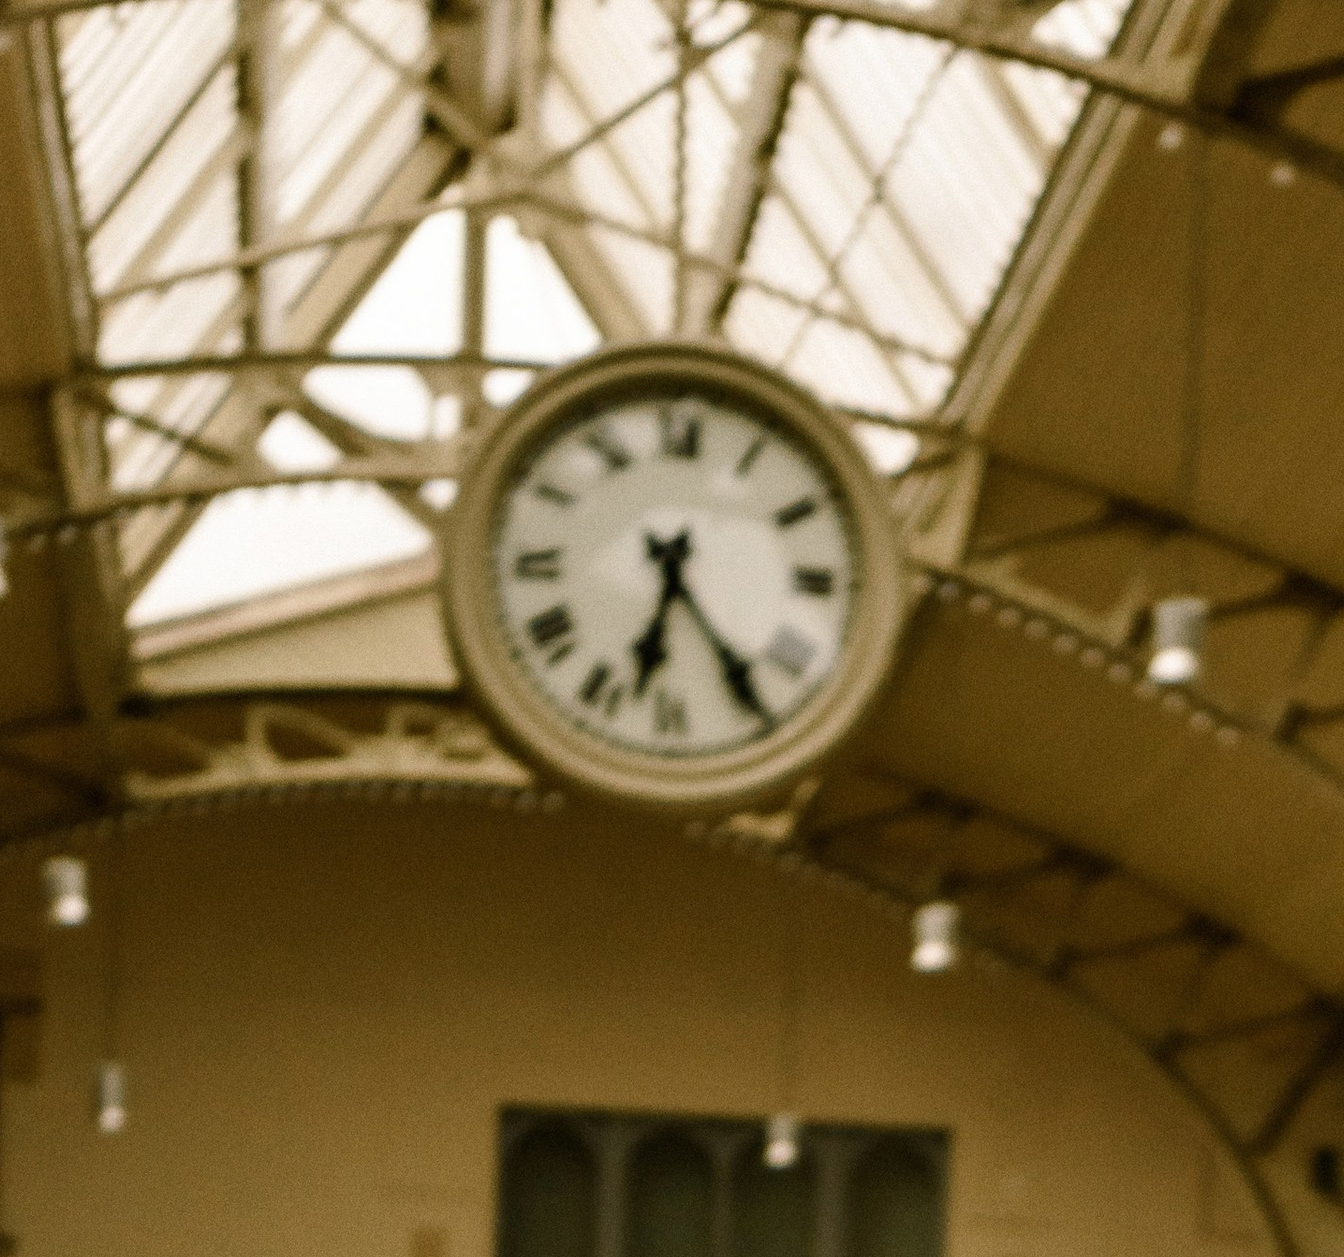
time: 6:23
